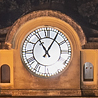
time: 11:05
